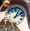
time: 1:11
